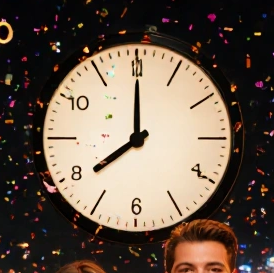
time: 7:59
